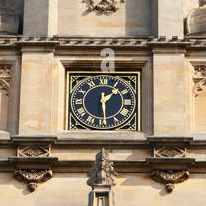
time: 1:29
